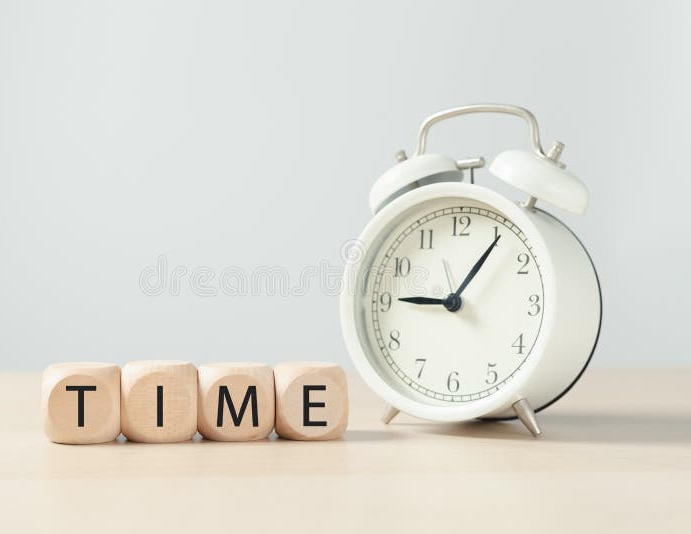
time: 9:05
